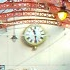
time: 11:28
